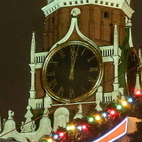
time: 12:02
